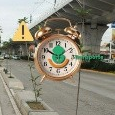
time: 1:50
